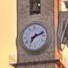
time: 7:11
